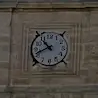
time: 10:41
